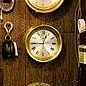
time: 12:44
